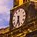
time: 6:27
